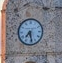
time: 7:28
